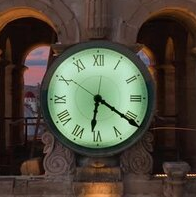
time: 6:20
